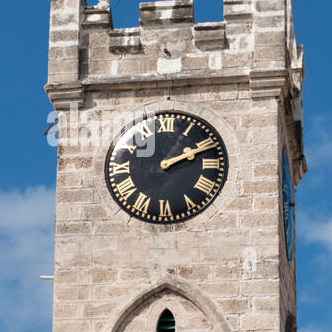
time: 2:11
